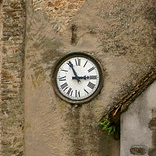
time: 2:55
